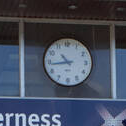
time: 10:43
